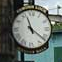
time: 11:21
